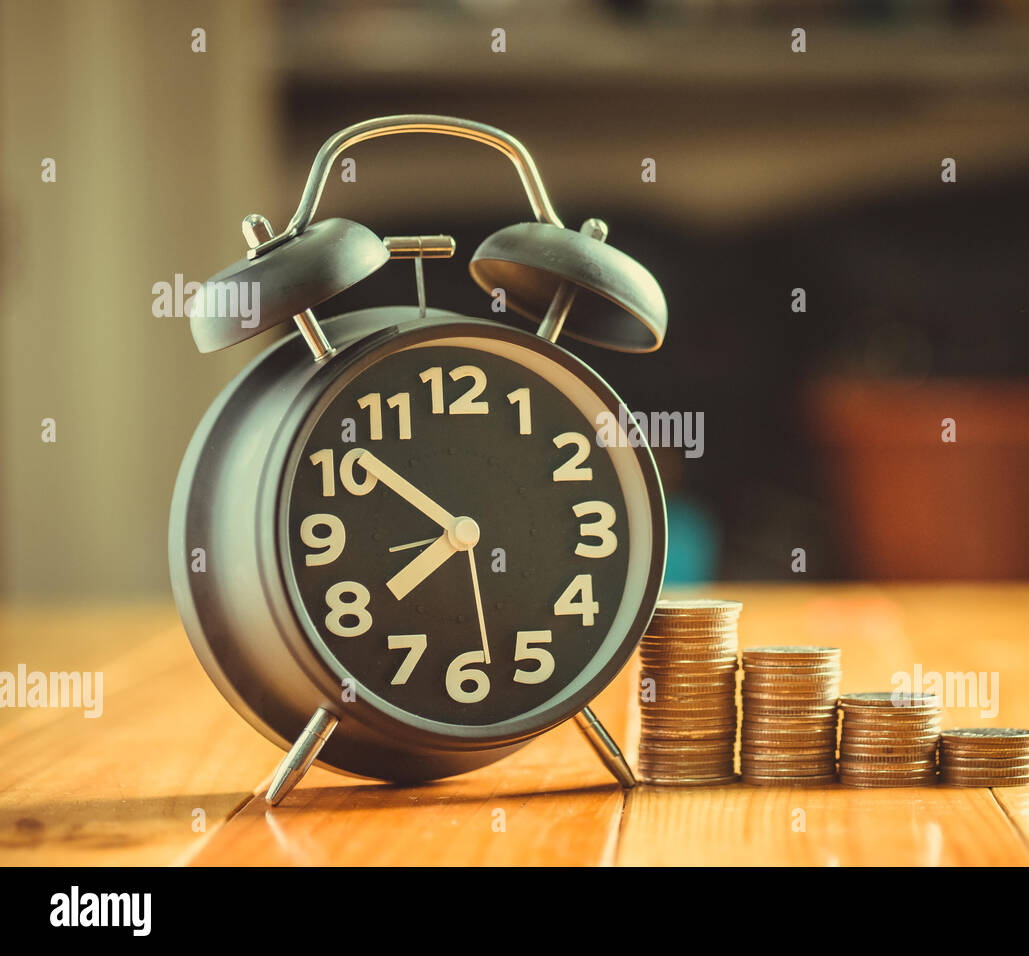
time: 7:51
